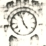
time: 4:57
